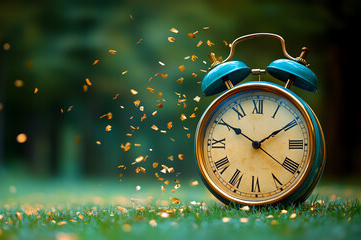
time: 1:50
